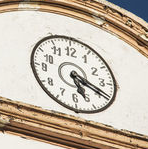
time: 5:19
